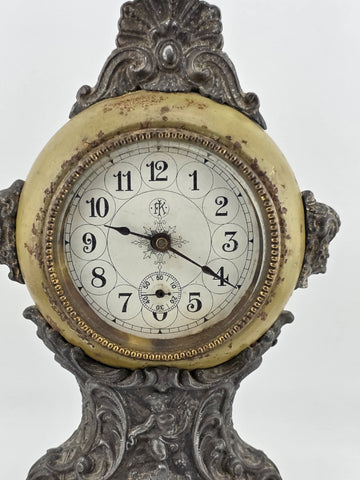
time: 9:20
